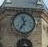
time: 11:35
